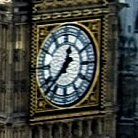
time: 12:37
